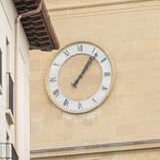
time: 1:06
